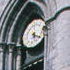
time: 5:18
